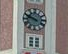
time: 9:48
